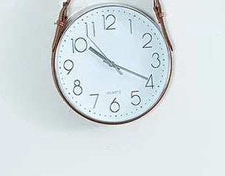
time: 10:19
